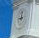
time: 9:01
